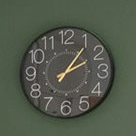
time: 2:06
